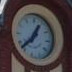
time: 12:37
